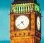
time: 4:39
